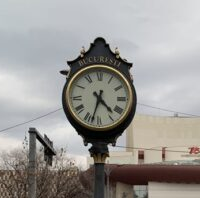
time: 4:32
